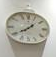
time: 1:39
